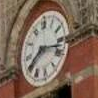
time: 8:17
